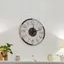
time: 12:11
